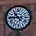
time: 10:44
